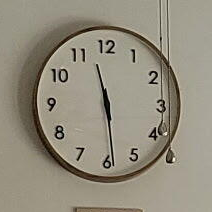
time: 11:28
